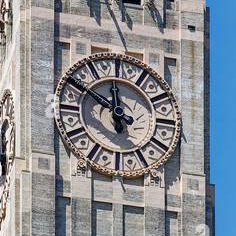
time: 11:49
